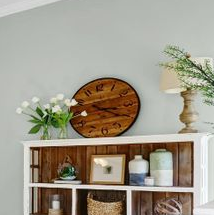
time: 3:20
